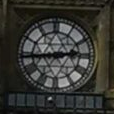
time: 2:44
